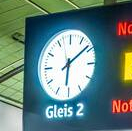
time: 6:08
